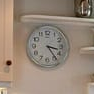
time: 3:23
